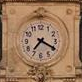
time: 7:19
